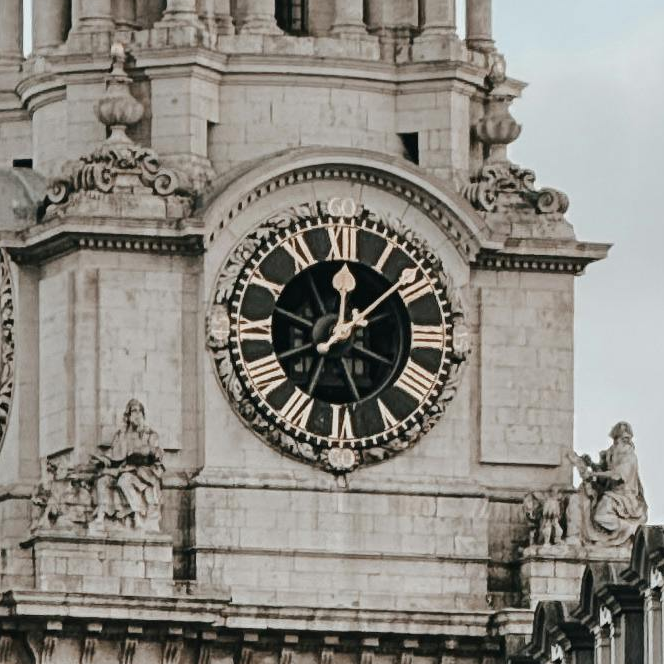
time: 12:08
